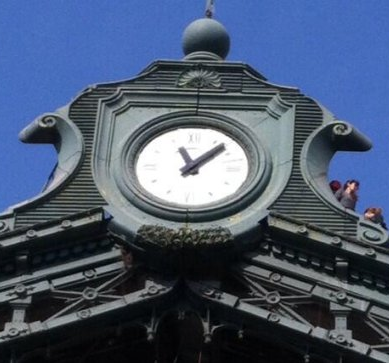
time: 11:07
